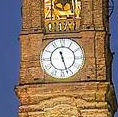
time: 11:27
